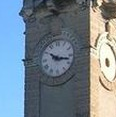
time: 10:17
